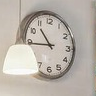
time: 10:43
